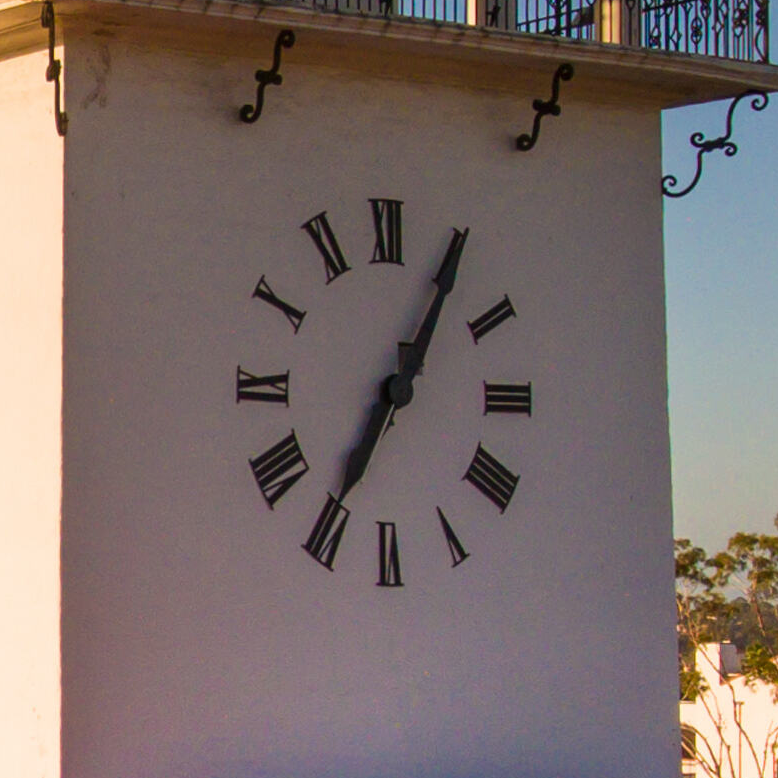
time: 7:05
